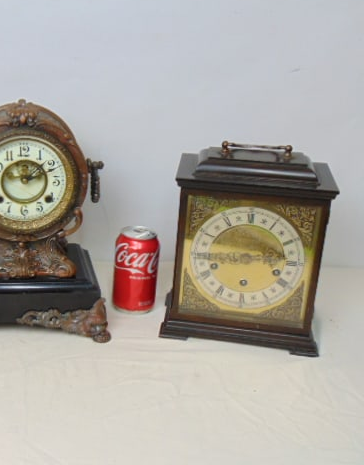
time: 2:44
